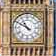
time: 10:49
